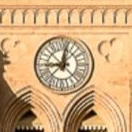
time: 9:01
